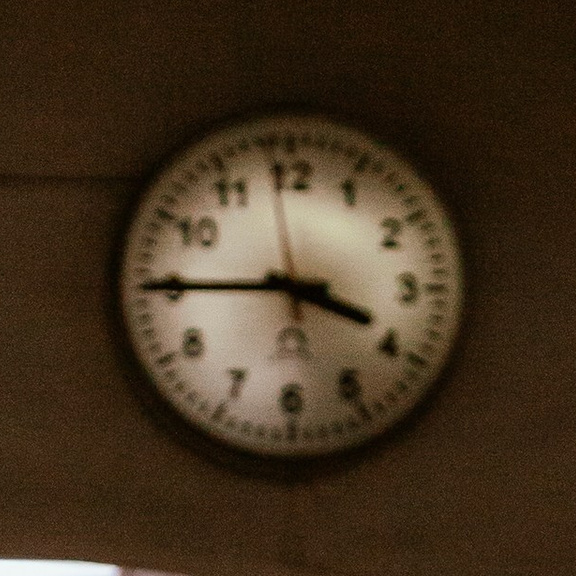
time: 3:45
